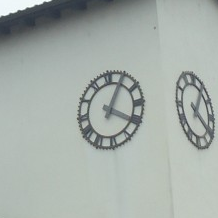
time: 4:04
